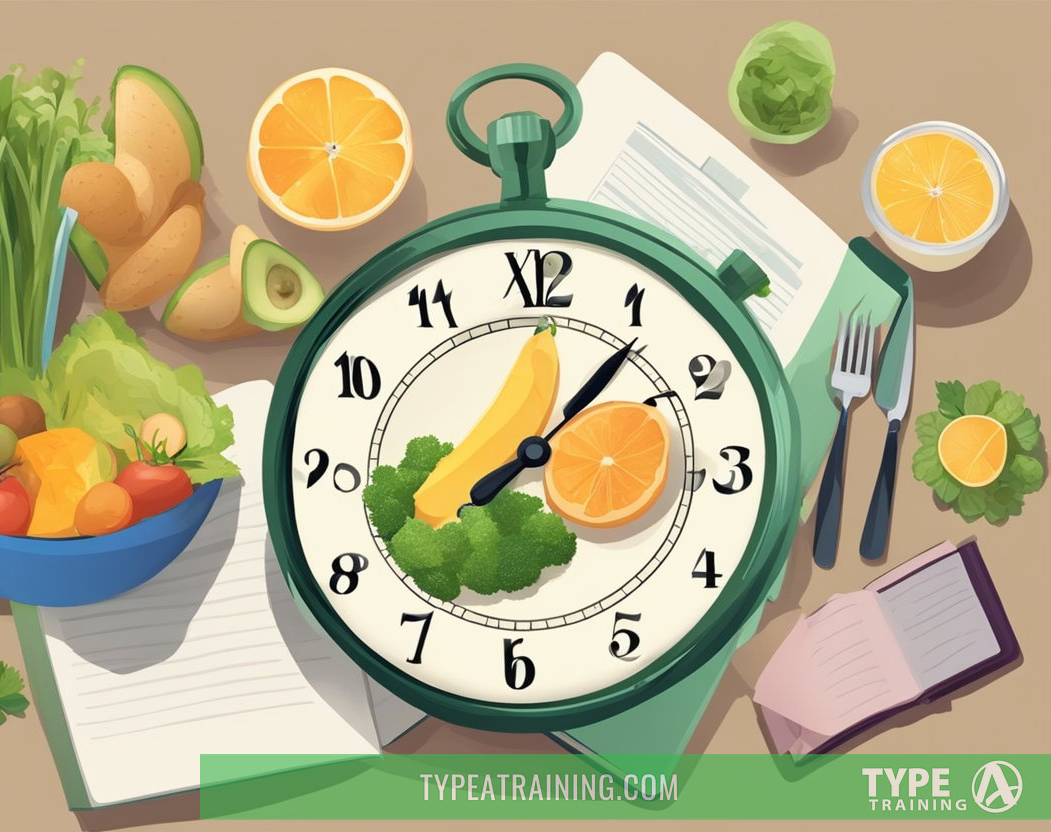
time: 8:06
